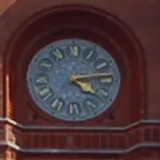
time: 4:13
